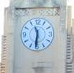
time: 11:30
